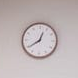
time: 12:39
